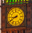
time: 8:40
